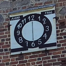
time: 6:00
